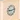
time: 9:12
